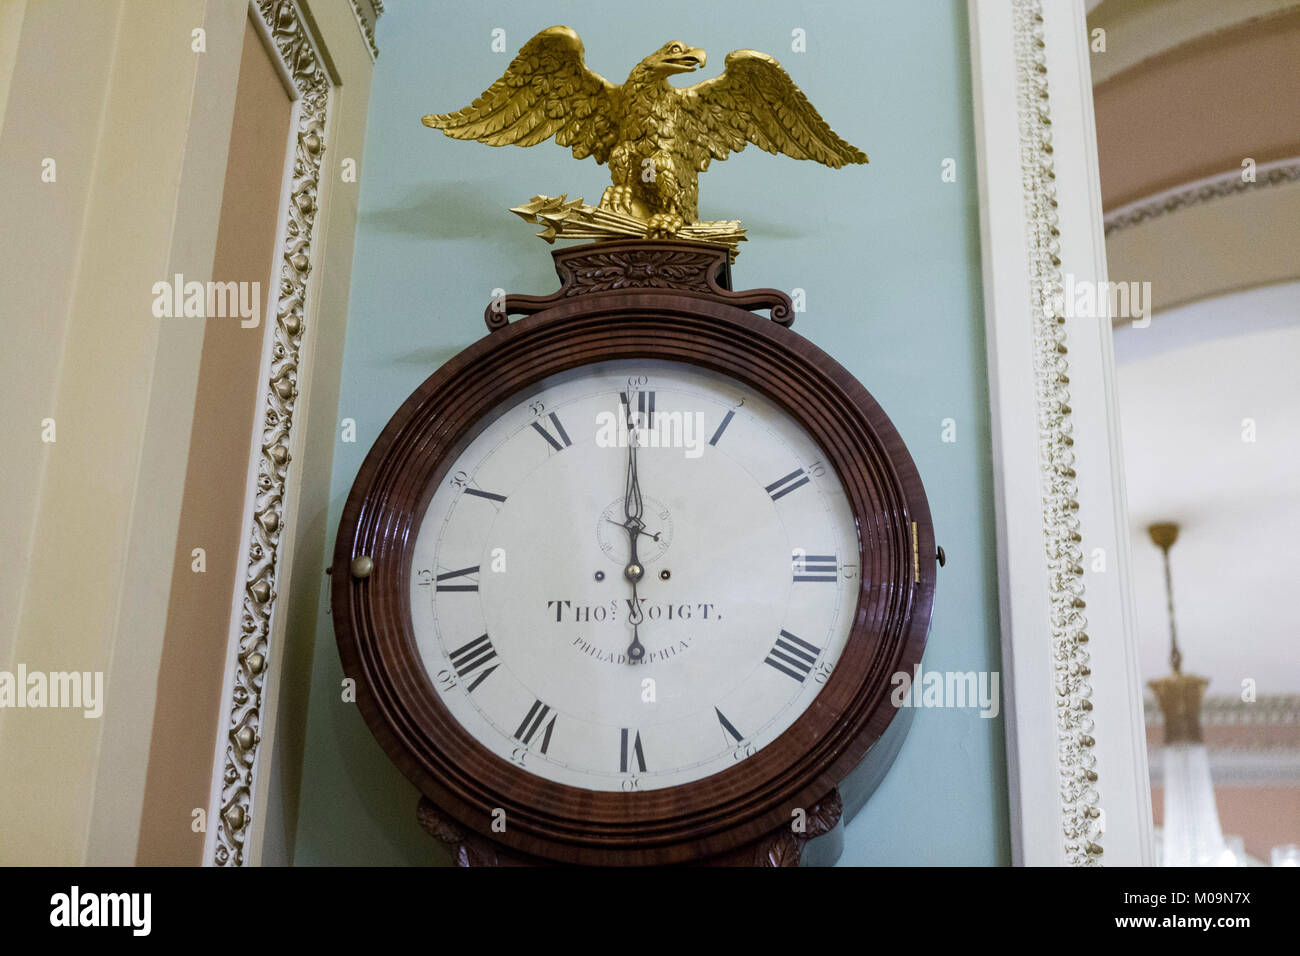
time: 5:59
